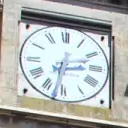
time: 2:32
